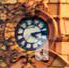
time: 4:12
